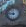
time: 11:46
